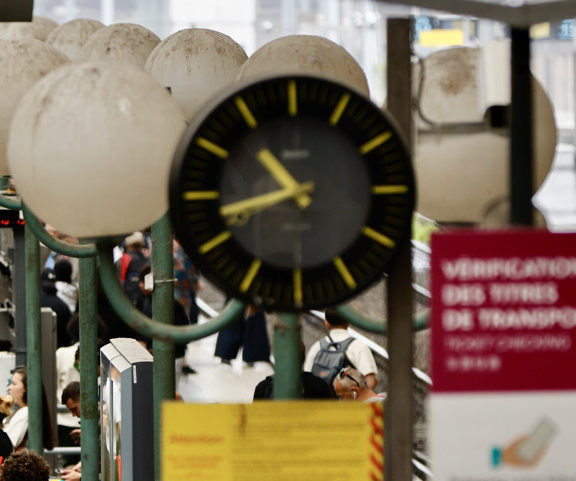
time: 10:42
